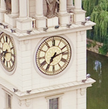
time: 7:12
